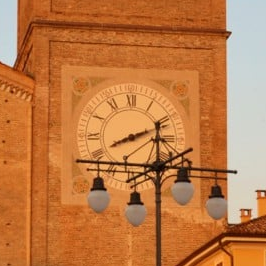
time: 8:11
